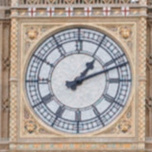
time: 1:11
